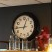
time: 12:44
